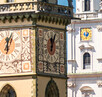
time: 12:03
